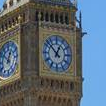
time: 12:52
